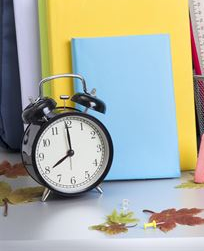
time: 7:59
